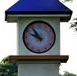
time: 9:54
